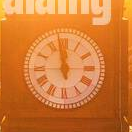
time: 11:58
